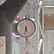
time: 5:31
